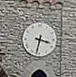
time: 3:32
